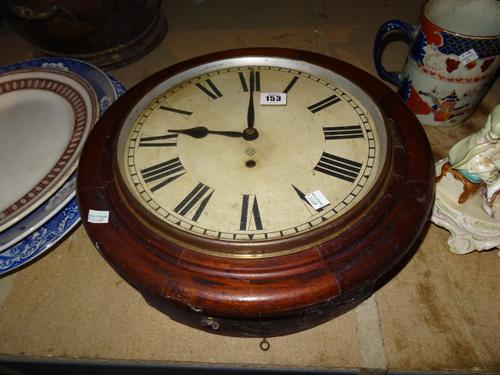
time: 9:00
